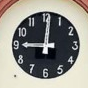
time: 9:01
